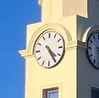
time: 4:24
